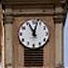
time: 11:02
